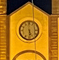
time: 5:29
